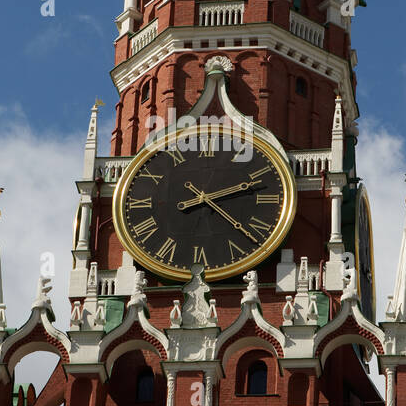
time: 2:21
